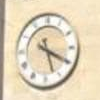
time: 5:19
